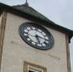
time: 5:15
